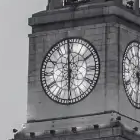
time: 5:59
